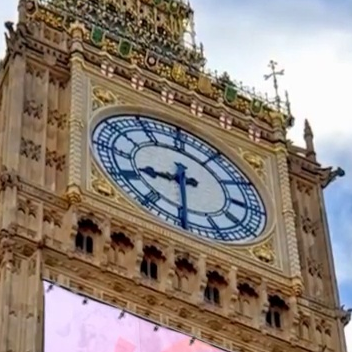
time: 8:29
